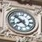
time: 7:51
